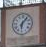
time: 6:06
